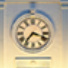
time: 3:36
